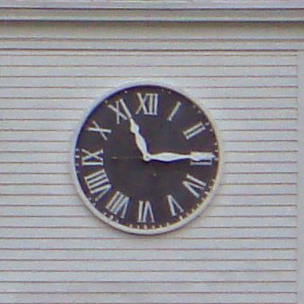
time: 11:14
